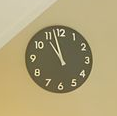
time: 10:57
